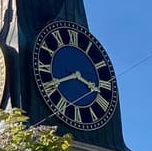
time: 3:40
